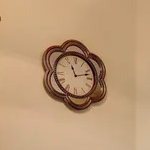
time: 11:12
